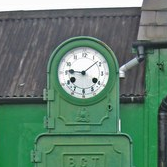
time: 9:08
